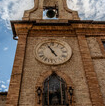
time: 4:55
